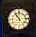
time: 10:53
